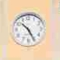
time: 10:25
